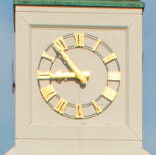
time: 8:53
